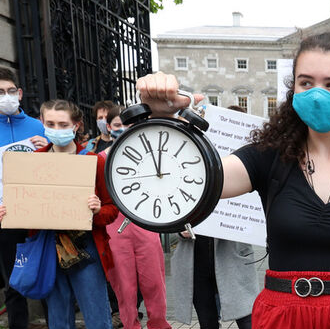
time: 11:55
